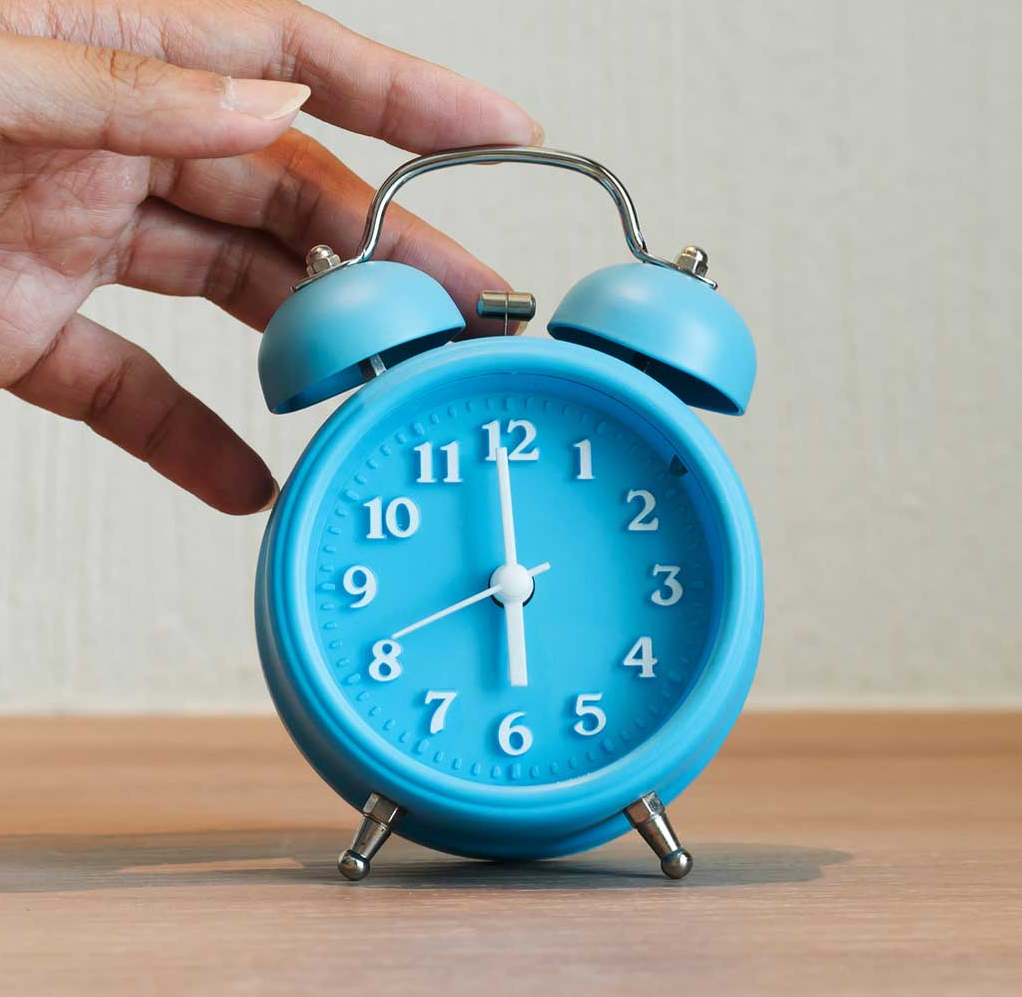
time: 5:59
